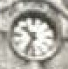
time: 10:34
